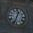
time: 12:33
